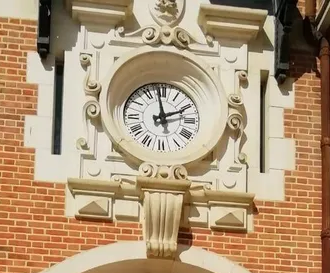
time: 1:58
